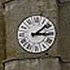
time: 3:08
